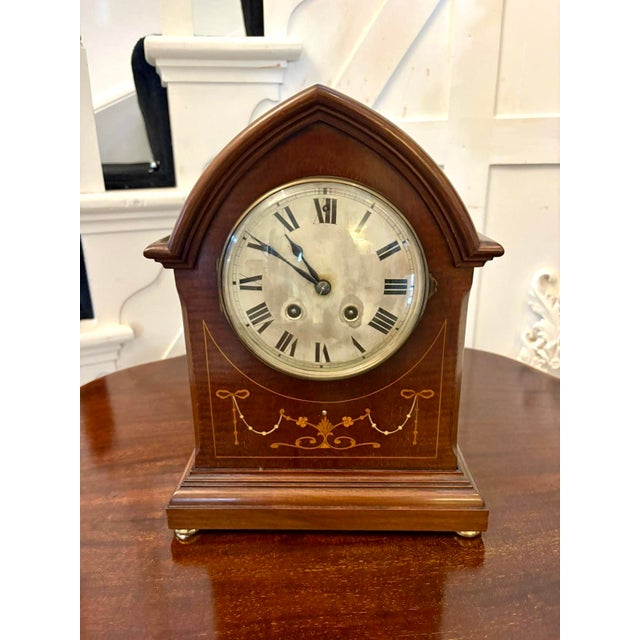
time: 10:50
